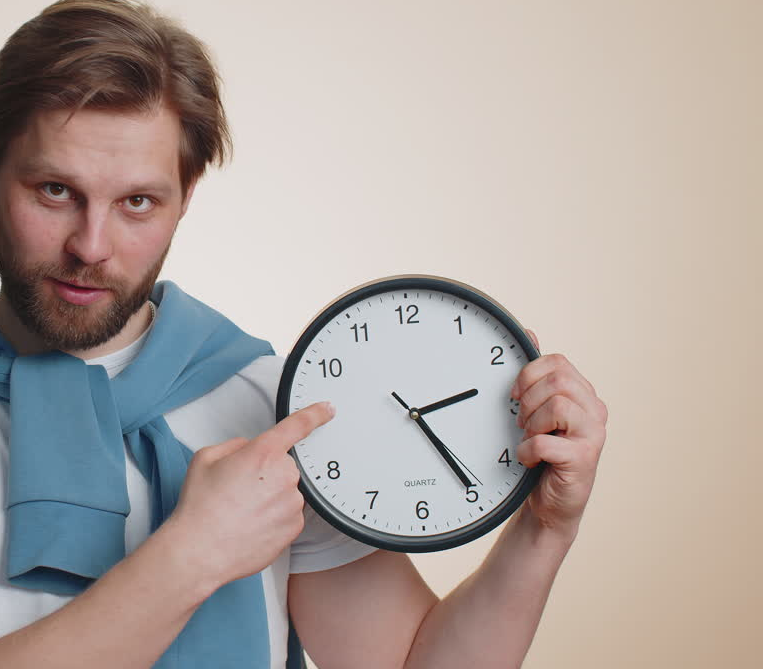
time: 2:24
